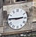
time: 2:45
